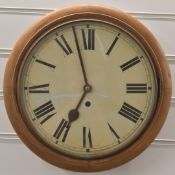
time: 6:57
